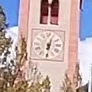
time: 6:03
